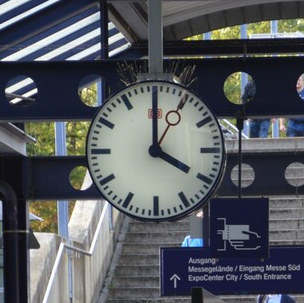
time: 4:00
